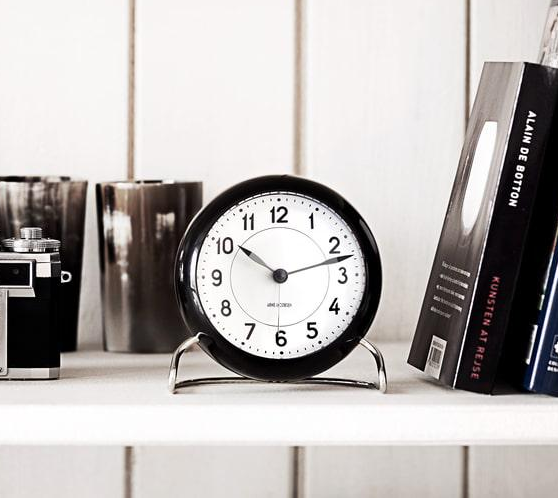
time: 10:12
